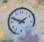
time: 1:49
